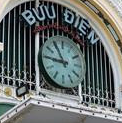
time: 10:45
